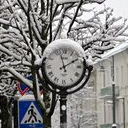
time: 1:57
